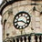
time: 9:20
